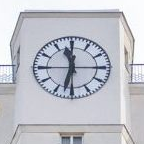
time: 11:32
